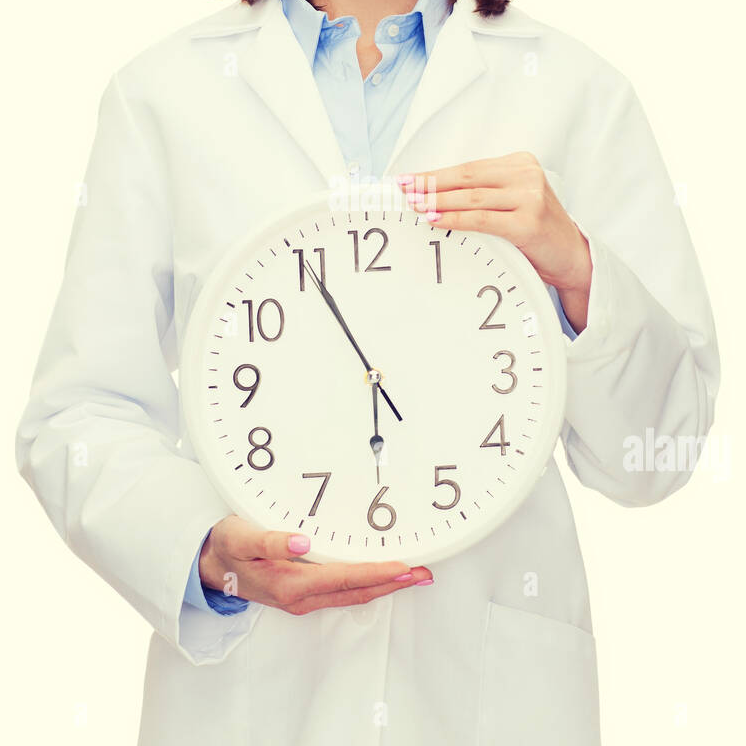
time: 5:55
